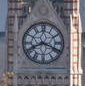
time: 8:18
